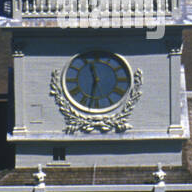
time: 11:32
